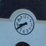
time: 8:40
